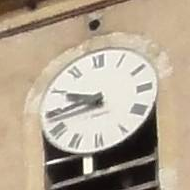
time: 9:43
